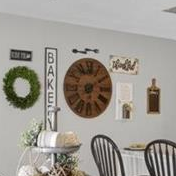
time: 6:10
